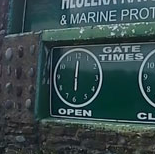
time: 6:00
